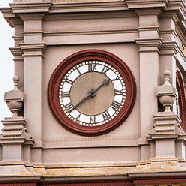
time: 1:38
